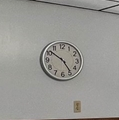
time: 4:51
